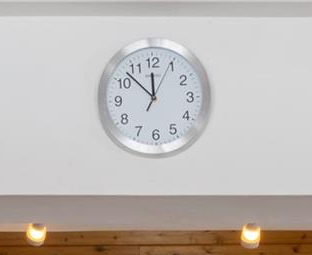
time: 11:52
